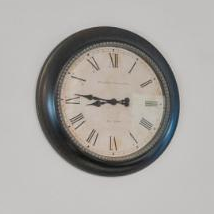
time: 8:46
